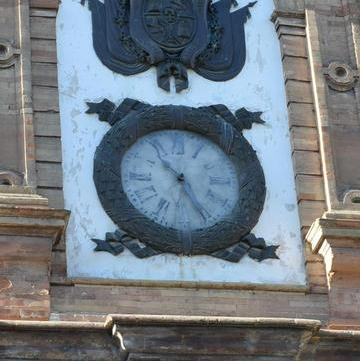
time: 10:25
